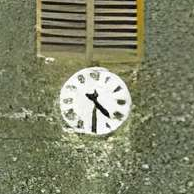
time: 4:30
